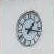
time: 1:16
